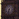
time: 6:32
